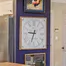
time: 9:33
